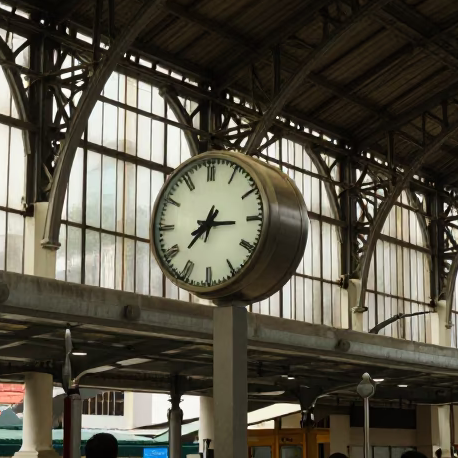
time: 7:15
